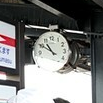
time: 10:50
